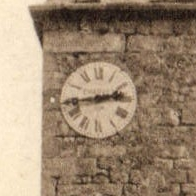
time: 2:43
